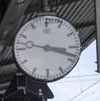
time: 3:18
